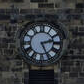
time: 2:25
